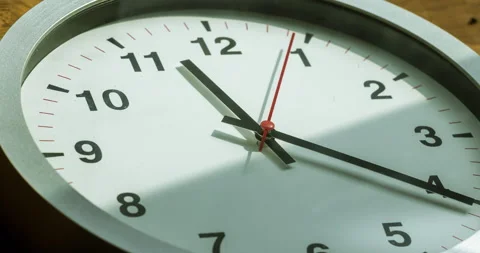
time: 11:20
